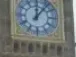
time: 12:06
